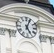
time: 5:03
